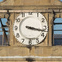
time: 3:17
